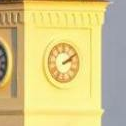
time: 2:09
